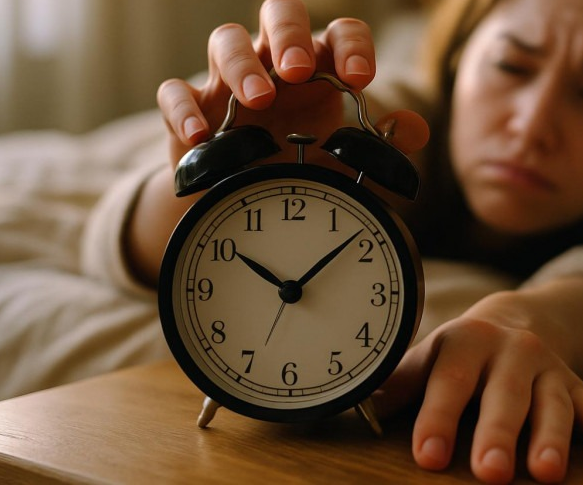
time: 10:08
